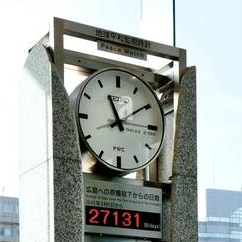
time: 11:09
